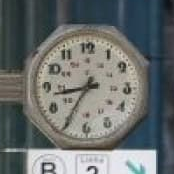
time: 8:35
